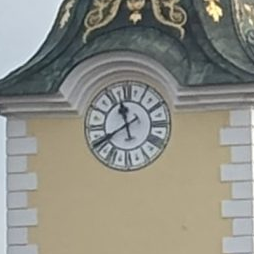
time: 11:39
